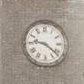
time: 9:21
